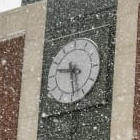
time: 9:28
